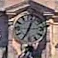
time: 12:34
